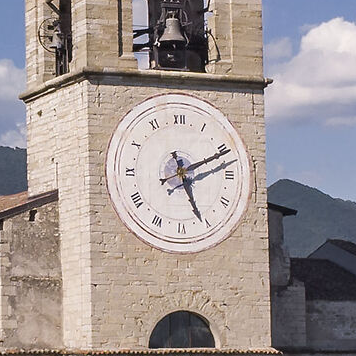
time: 5:11
